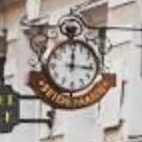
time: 12:16
